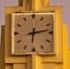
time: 6:13
